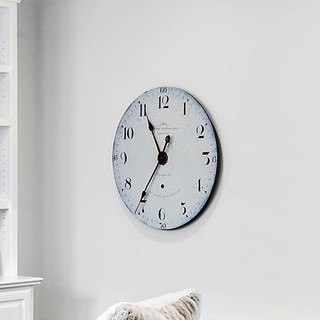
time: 11:35
